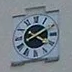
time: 4:10
